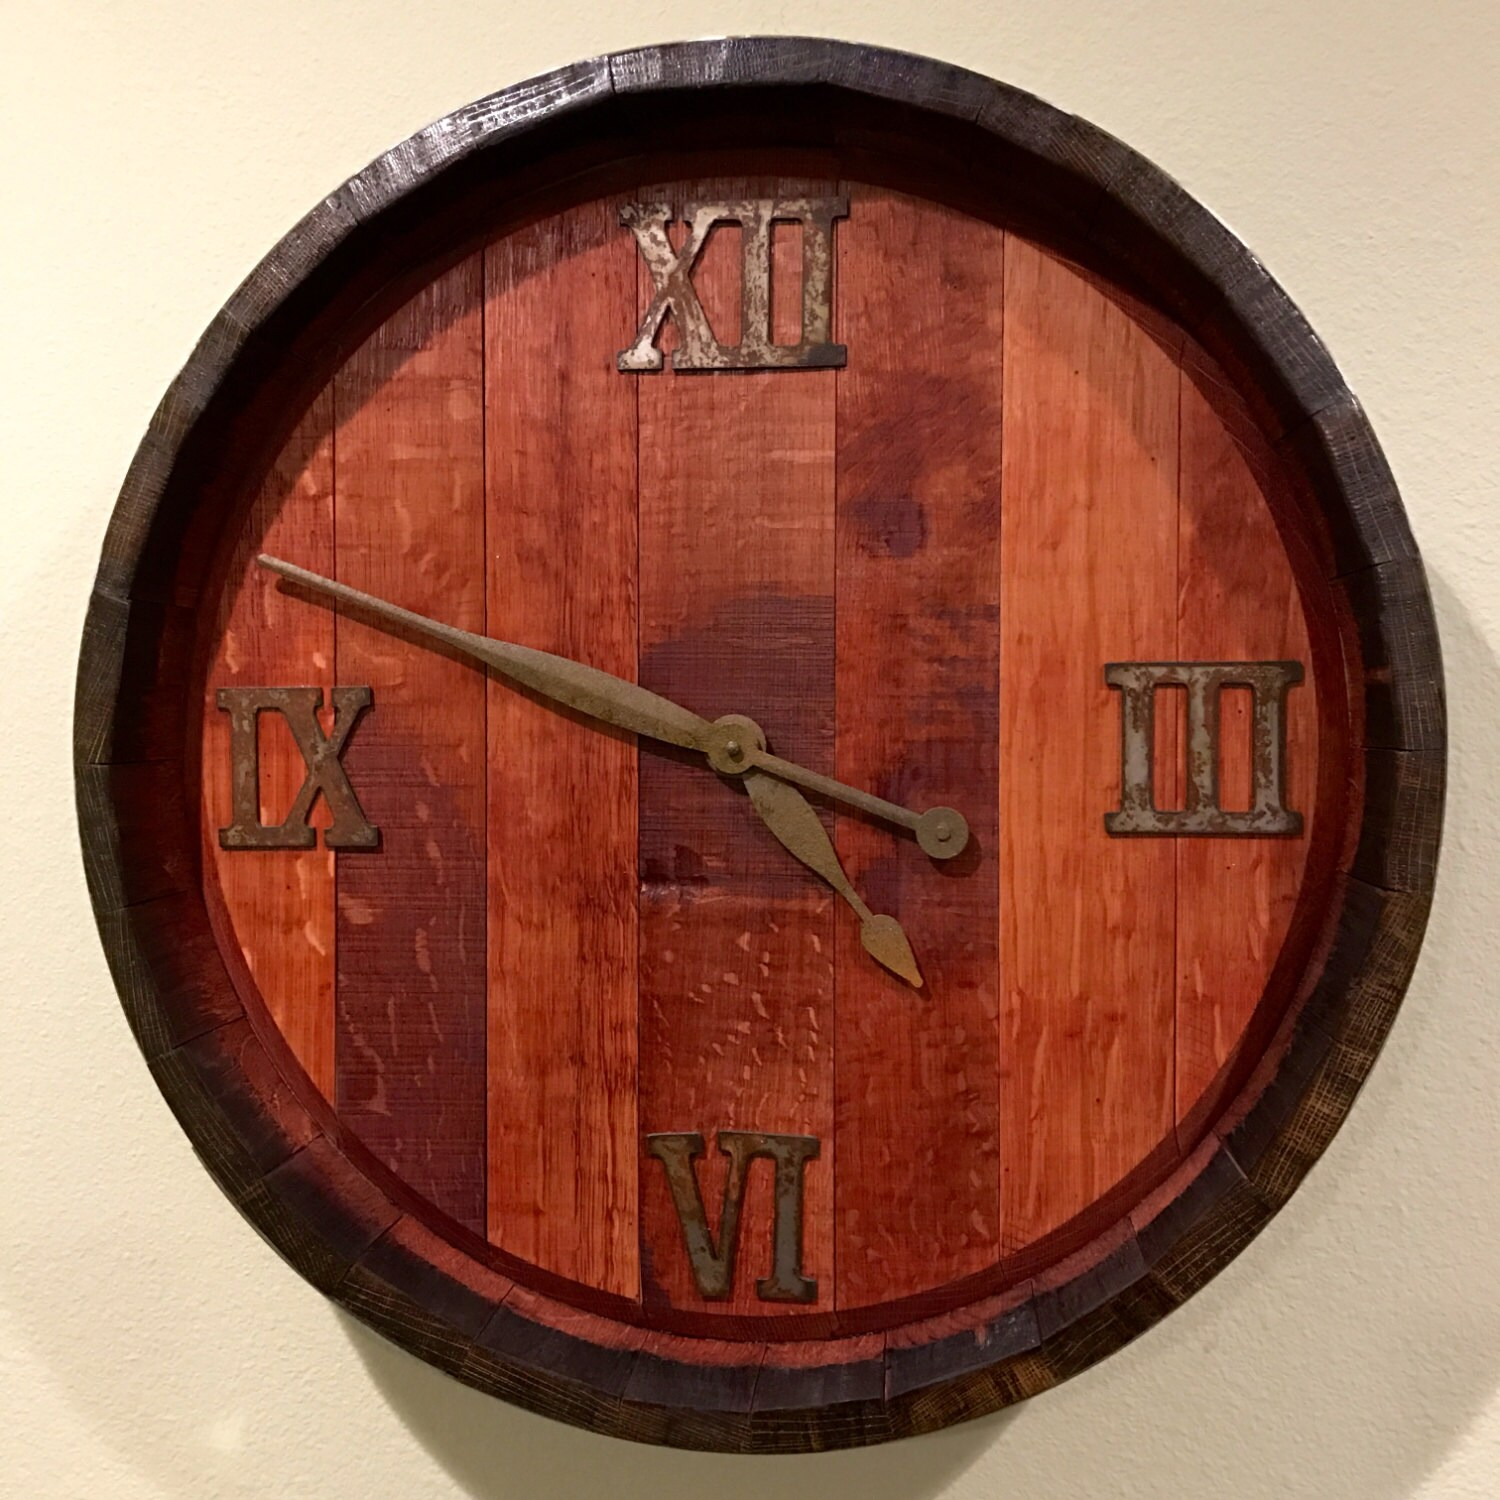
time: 3:48
